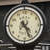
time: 4:26
